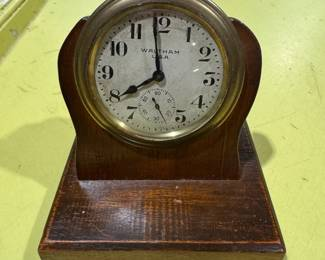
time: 7:58
